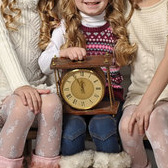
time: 11:55
